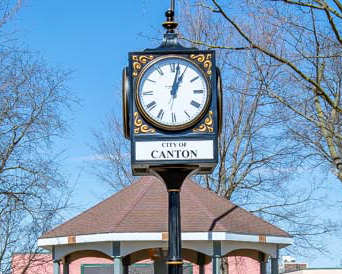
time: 1:02
